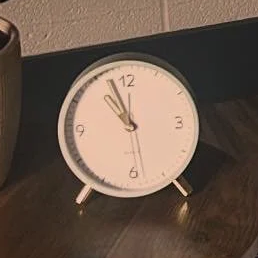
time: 10:56
